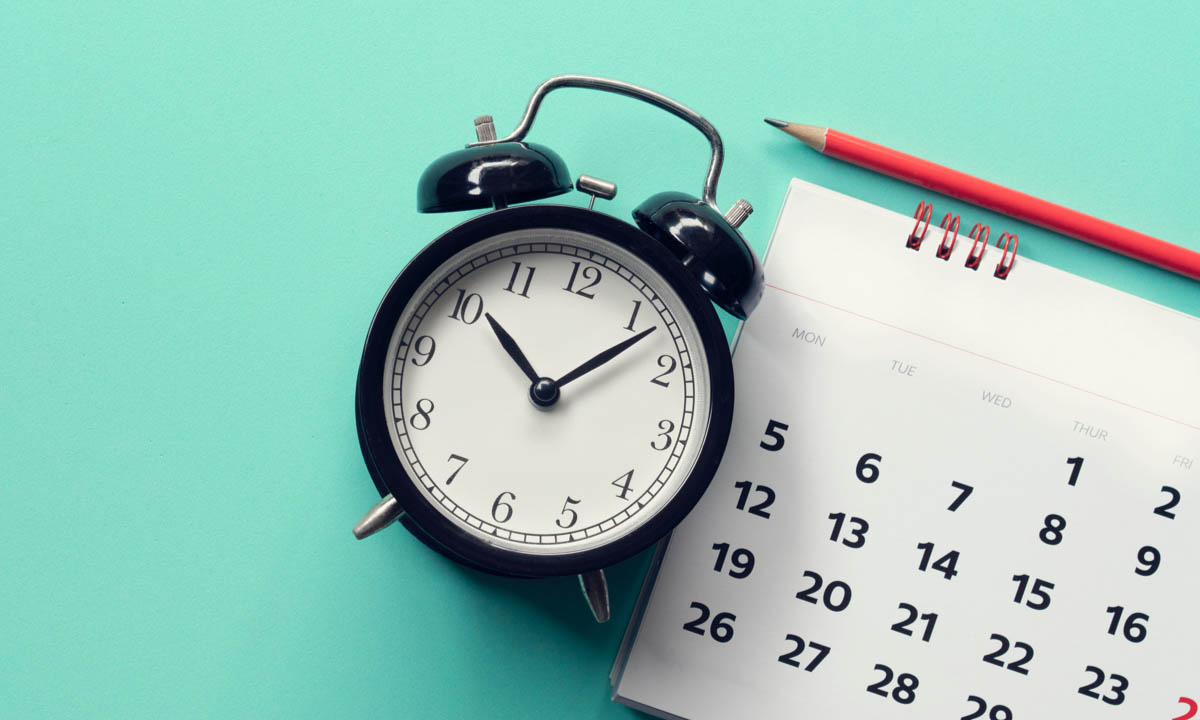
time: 10:07
